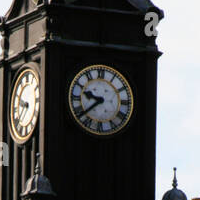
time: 9:38
